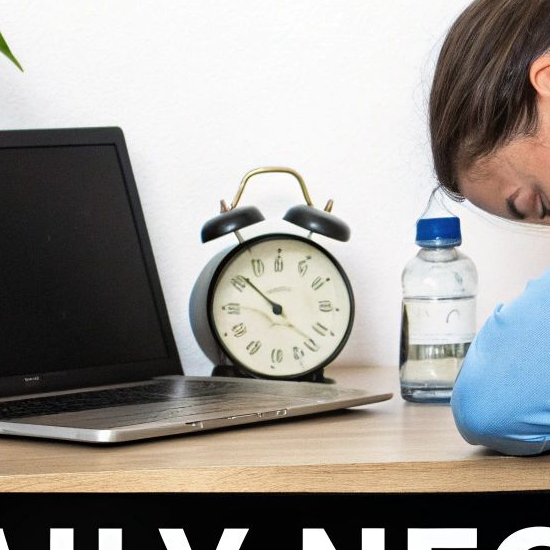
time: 10:22
